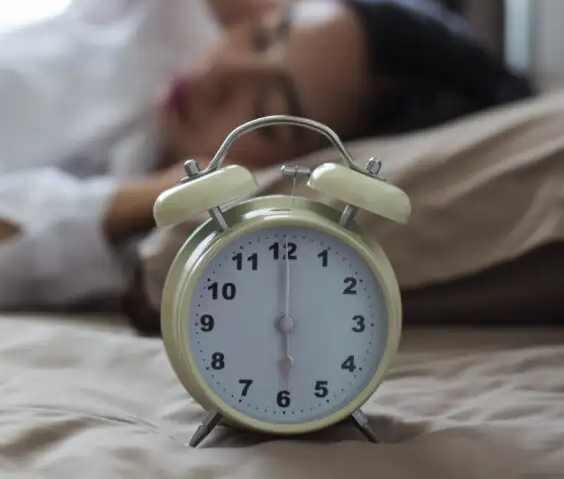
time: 6:00
